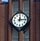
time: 12:14
